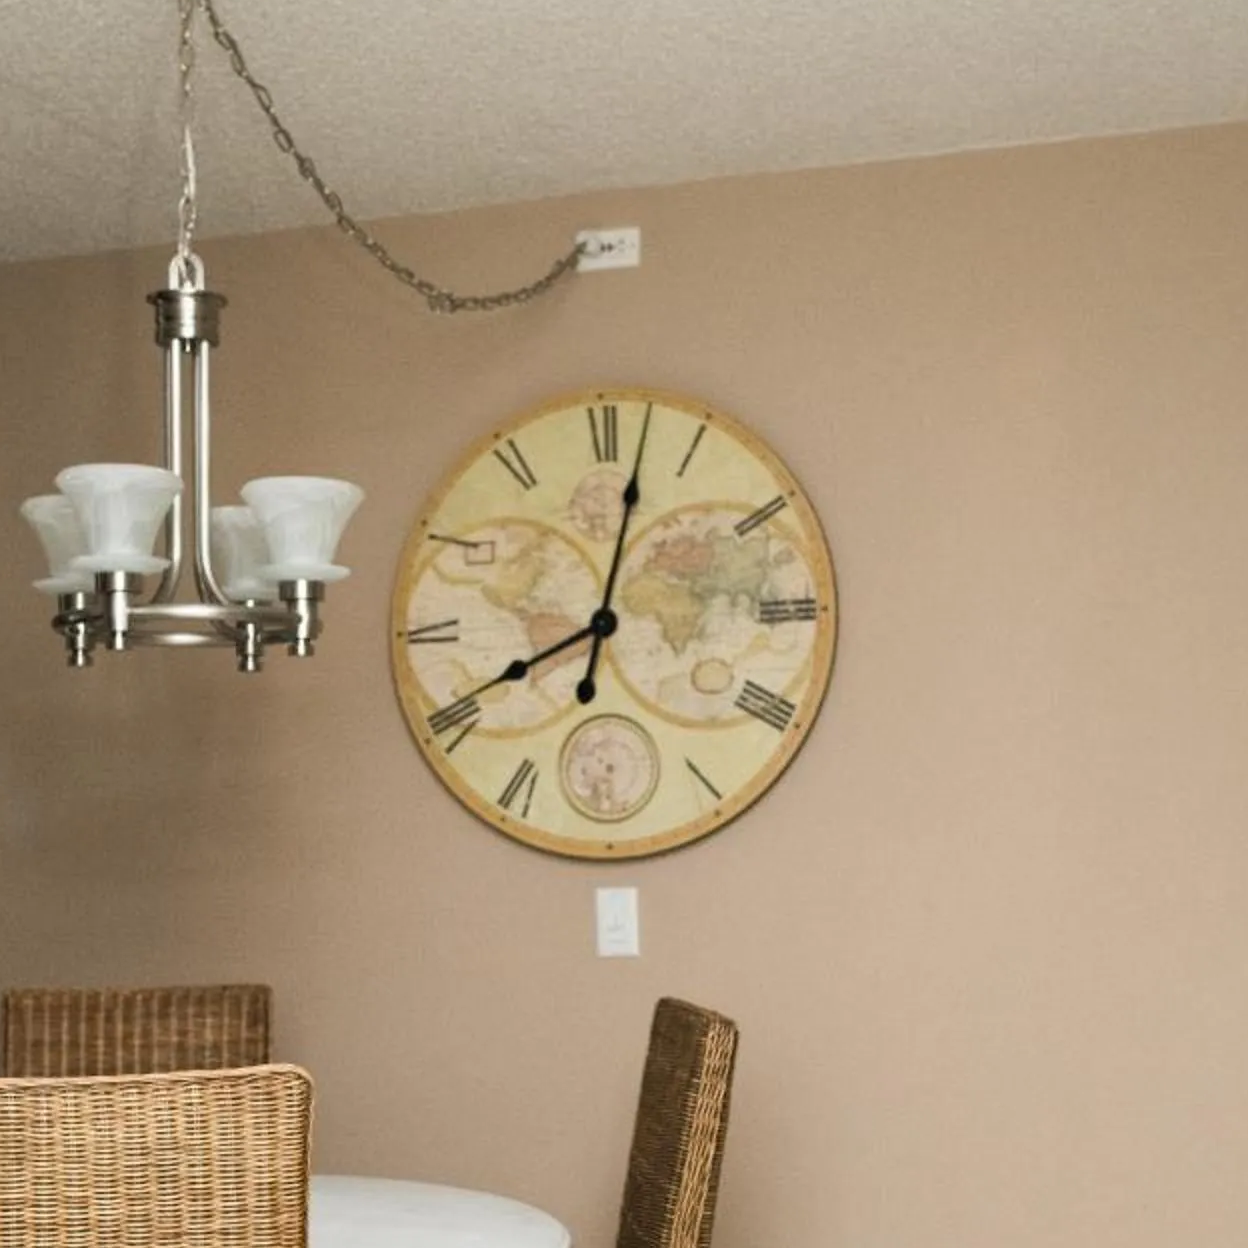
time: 8:02
